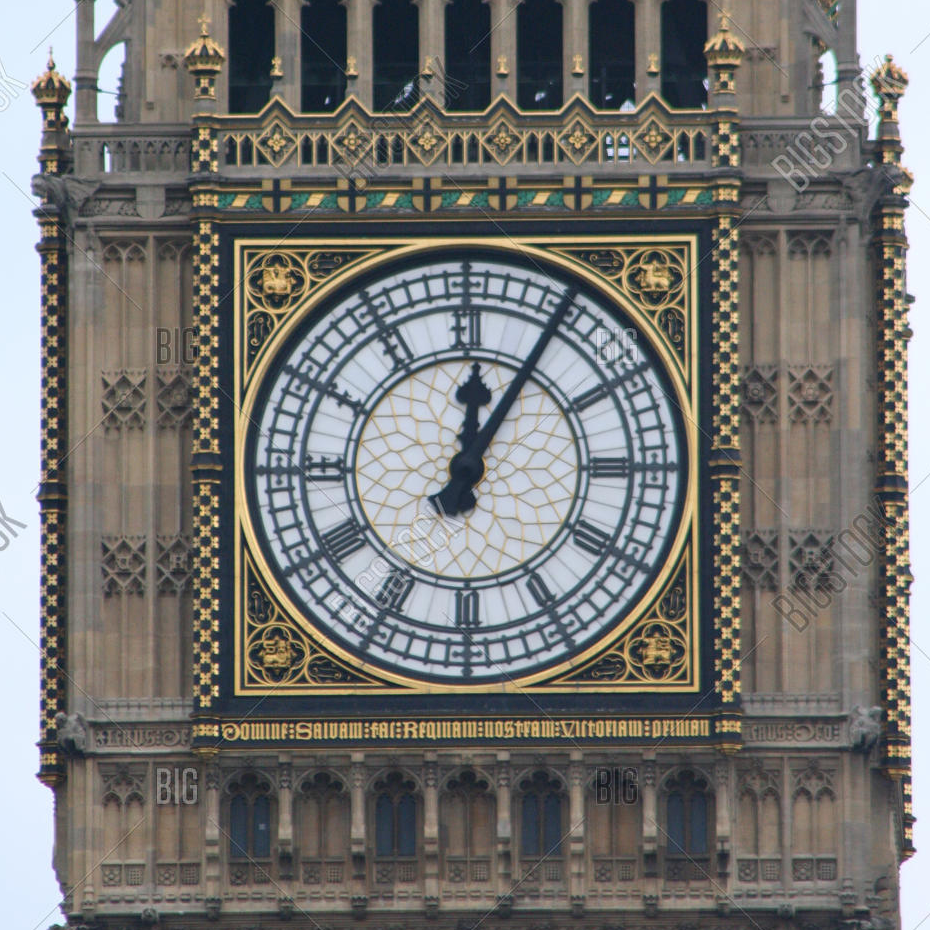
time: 12:05
